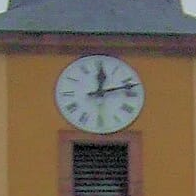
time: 12:12
